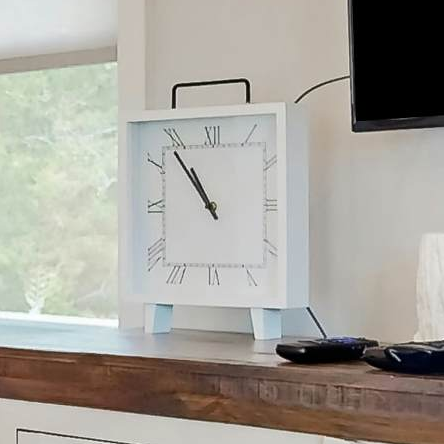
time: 10:53
